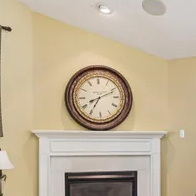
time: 7:11
